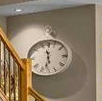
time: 11:32
